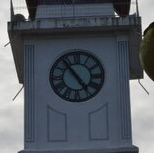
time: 4:53
